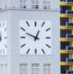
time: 12:48
